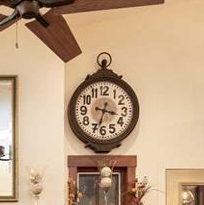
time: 3:33
